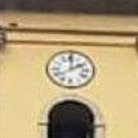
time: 2:00
